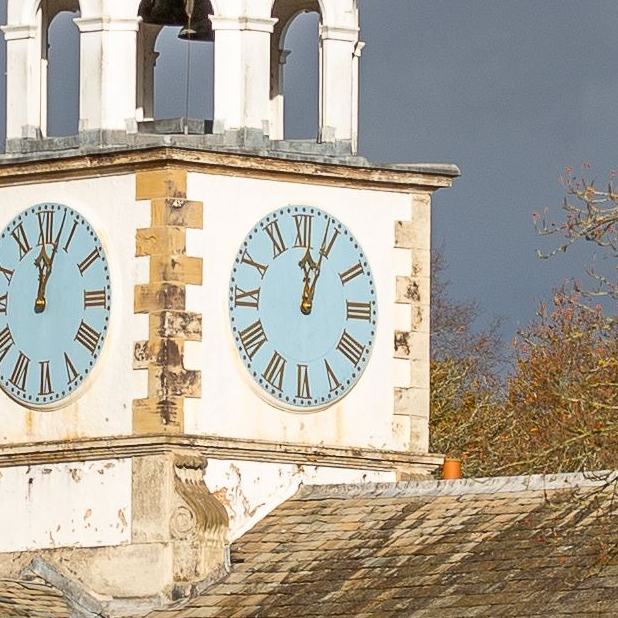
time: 12:04
